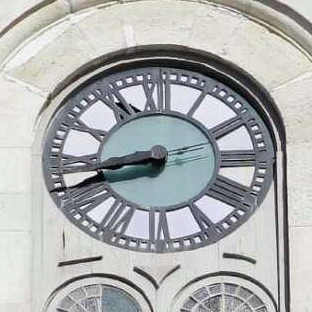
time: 8:41
